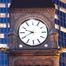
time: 9:40
